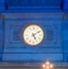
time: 5:09
